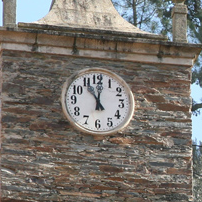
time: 11:01
